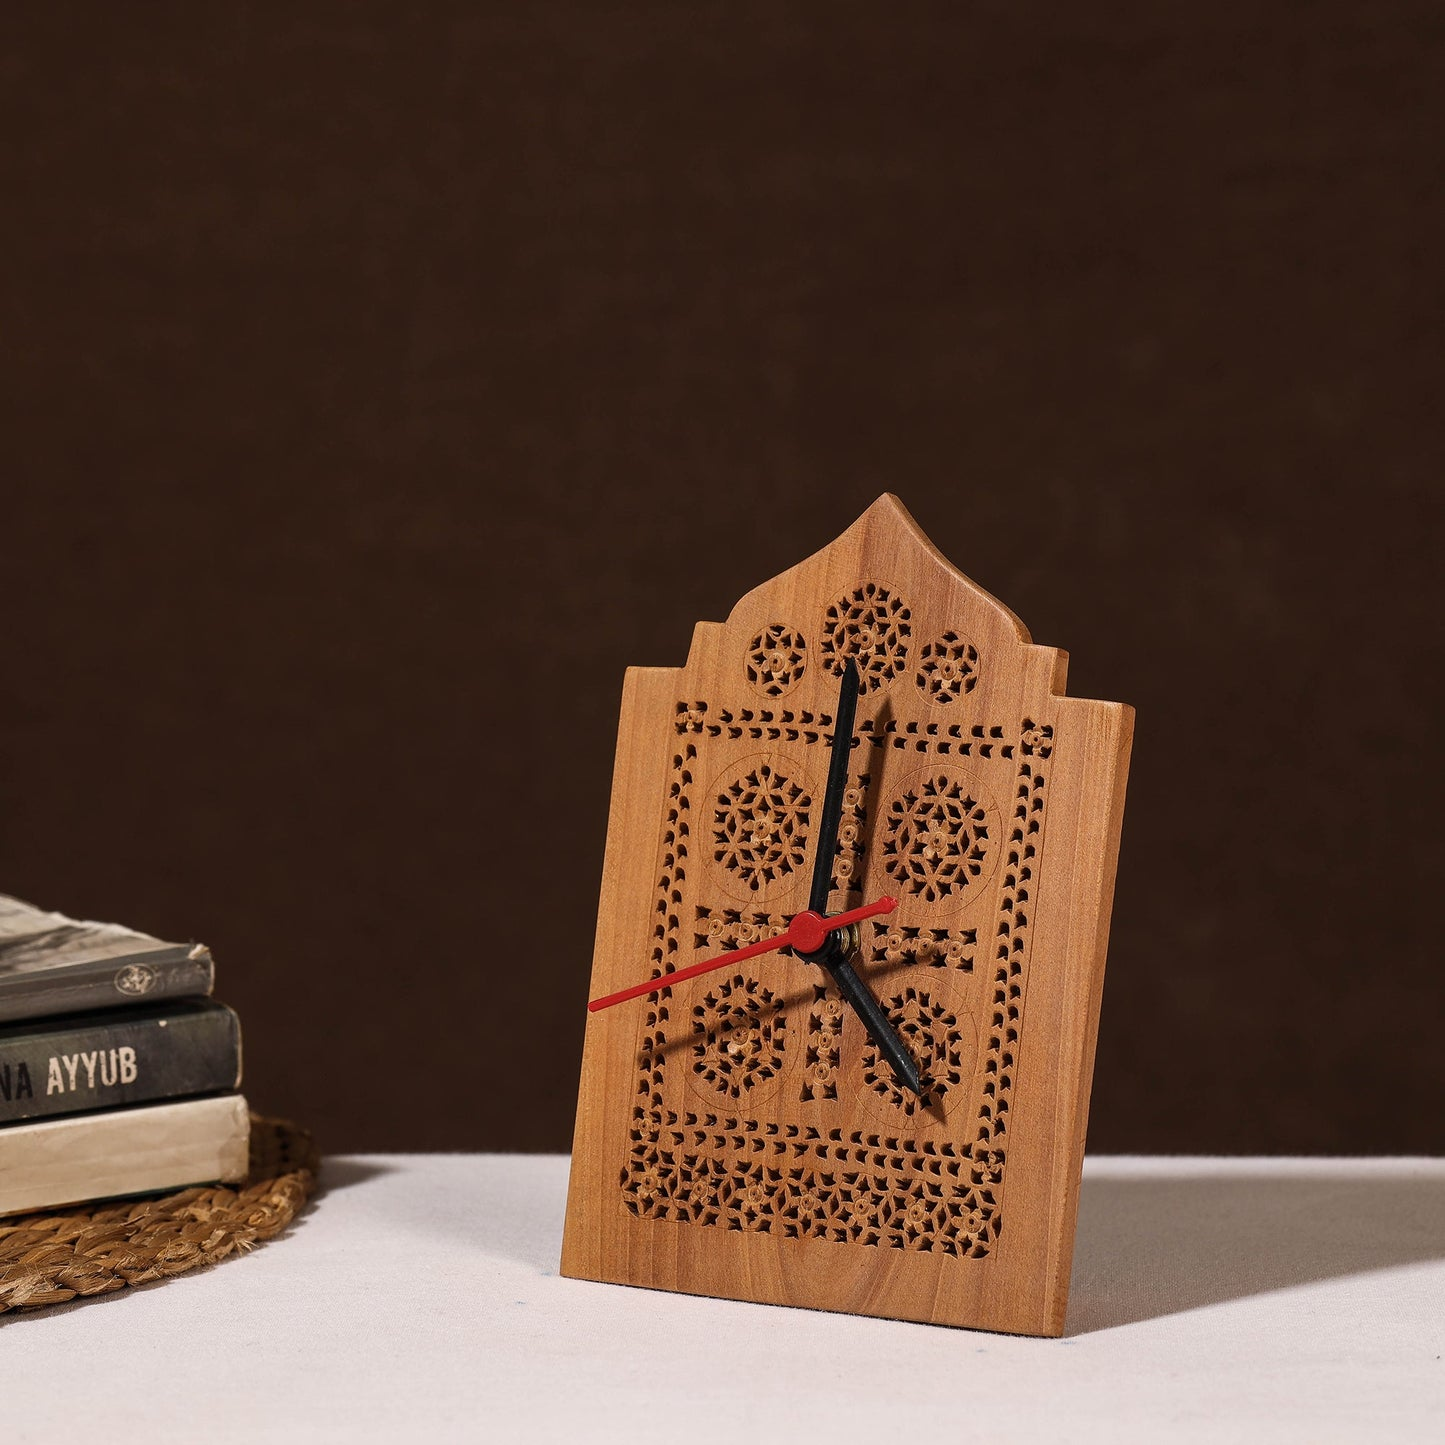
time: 4:00
